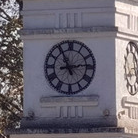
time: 11:13
